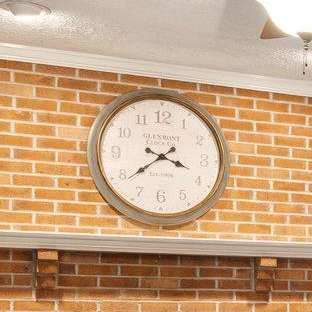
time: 3:38
